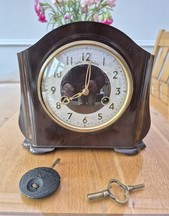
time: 8:01
